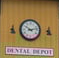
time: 10:12
